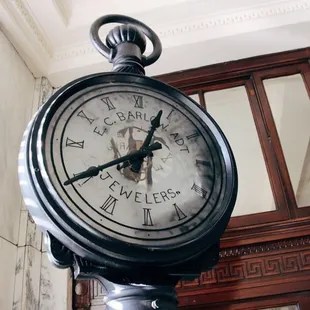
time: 12:40
